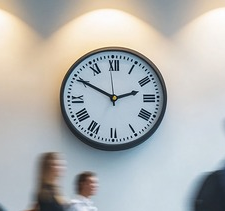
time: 2:49
